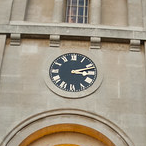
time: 3:12
